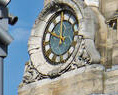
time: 11:49
